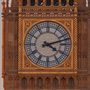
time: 4:12
